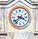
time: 3:37
